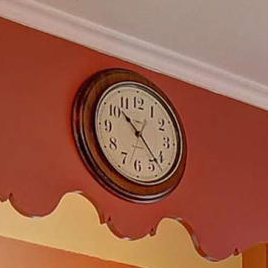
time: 10:22
